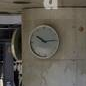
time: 10:14
